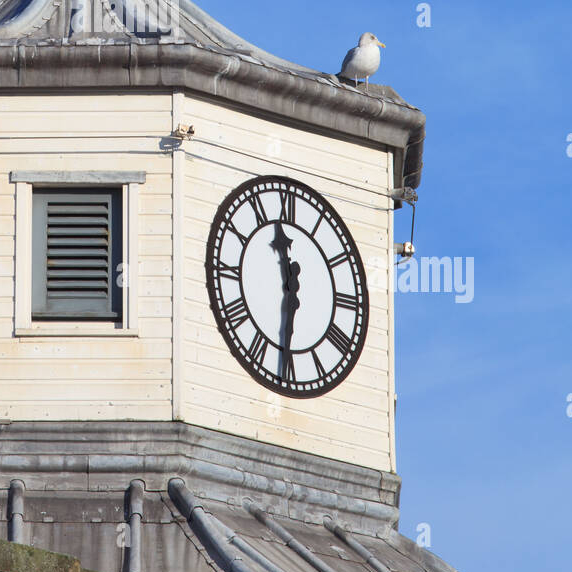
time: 11:31
